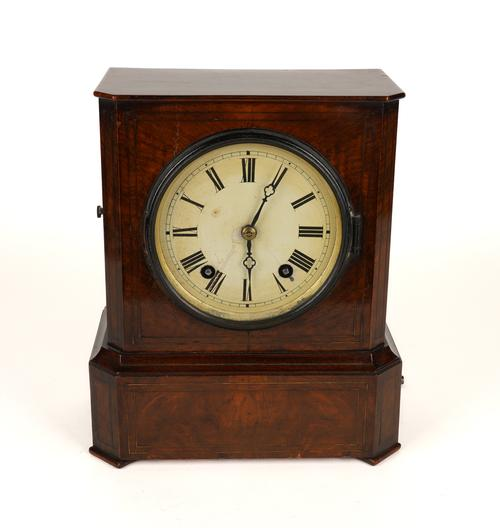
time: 6:04
